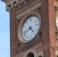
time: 4:42
